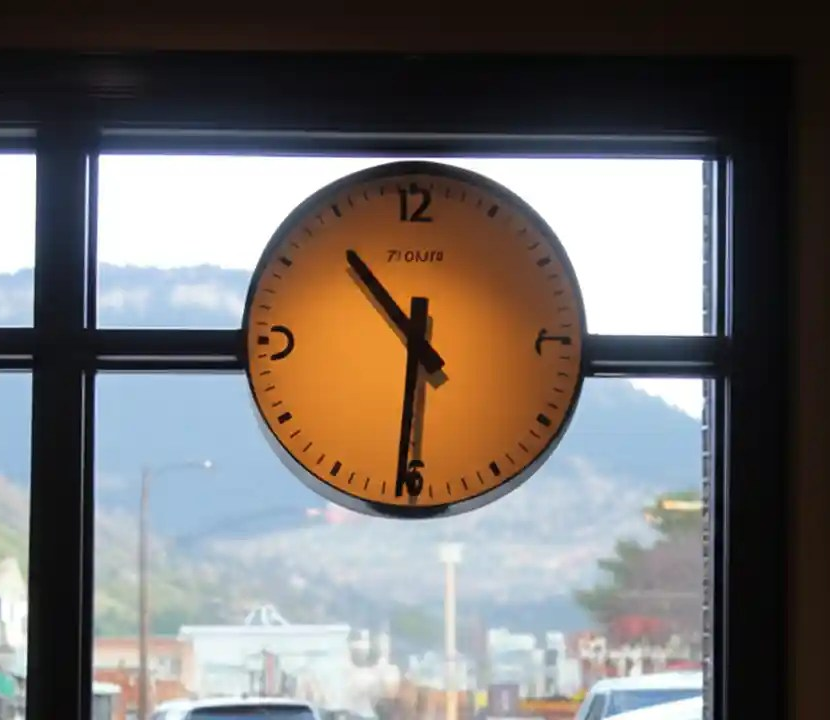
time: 10:31
